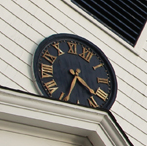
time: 4:34
